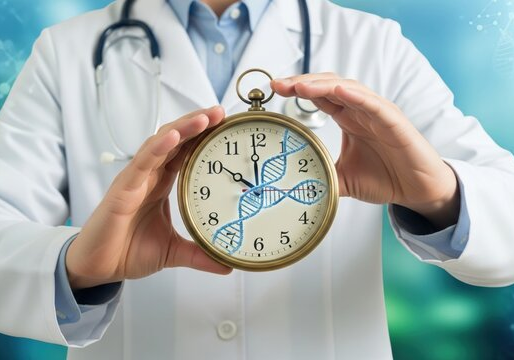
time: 9:59
